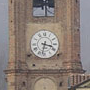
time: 3:32
